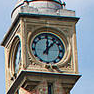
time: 12:07
